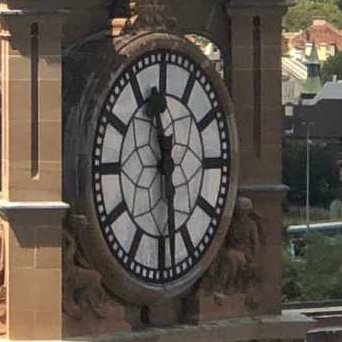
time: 11:28
